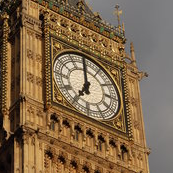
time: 6:59
